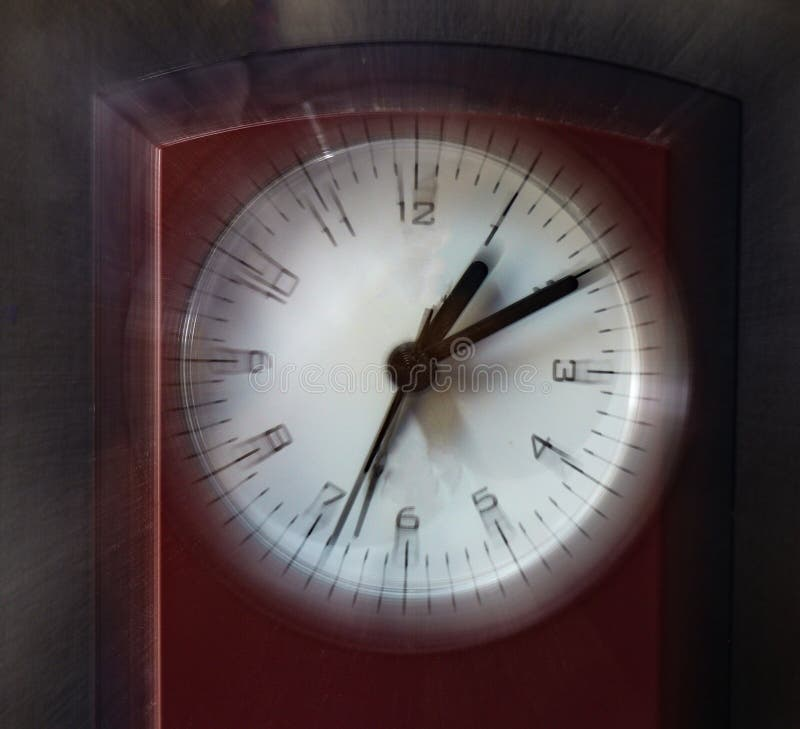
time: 1:10
